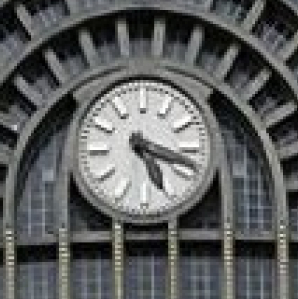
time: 5:18
